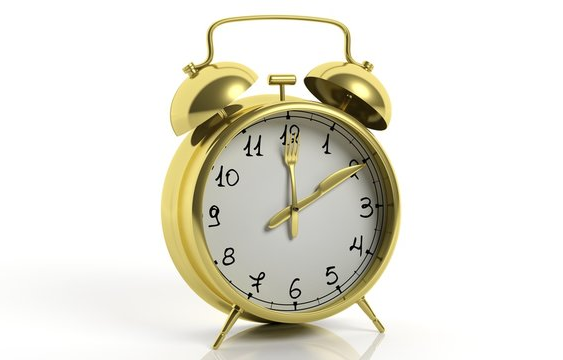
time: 1:59
